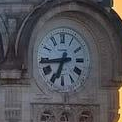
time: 6:43
